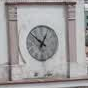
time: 12:52
